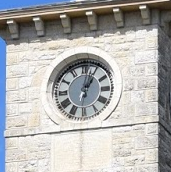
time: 1:02
